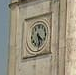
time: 4:28
